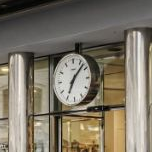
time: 7:07
